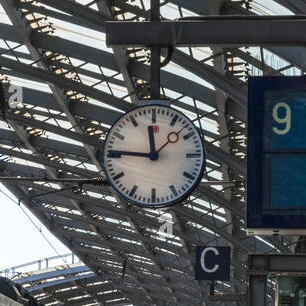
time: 11:45
